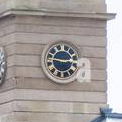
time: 2:46
